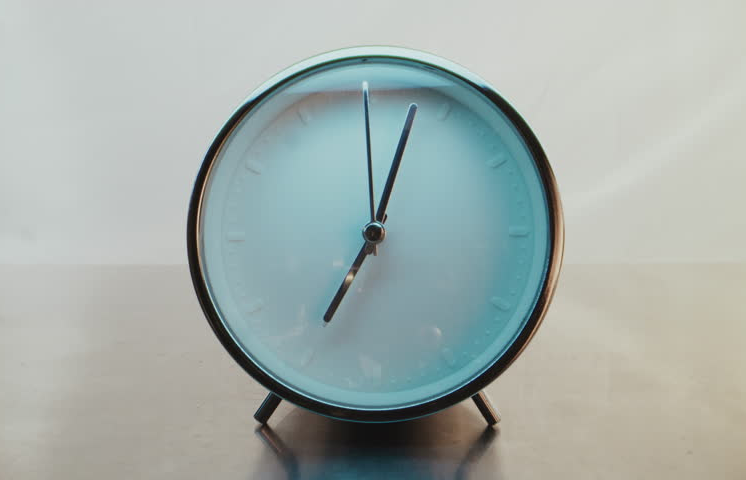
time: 7:02
